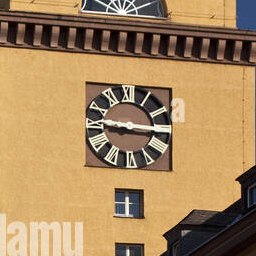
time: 9:15
